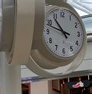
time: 10:48
